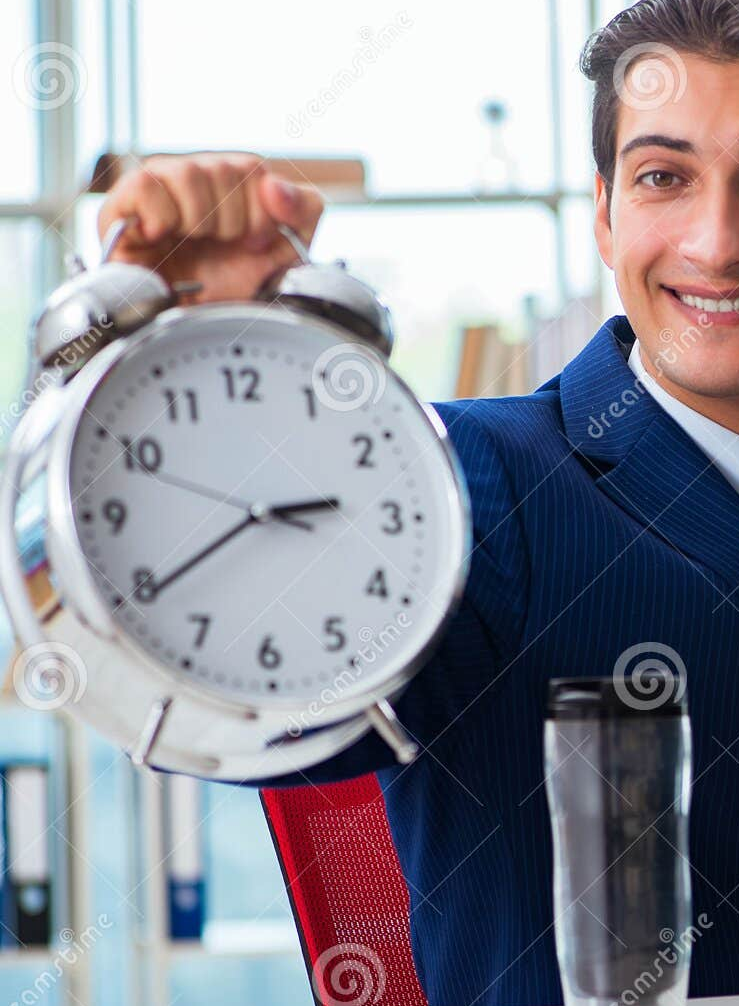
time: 2:39
